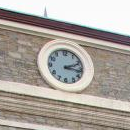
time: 2:16
